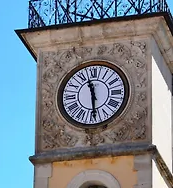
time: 11:29
